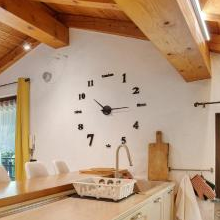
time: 10:14
